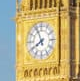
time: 7:55
